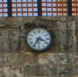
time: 3:35
